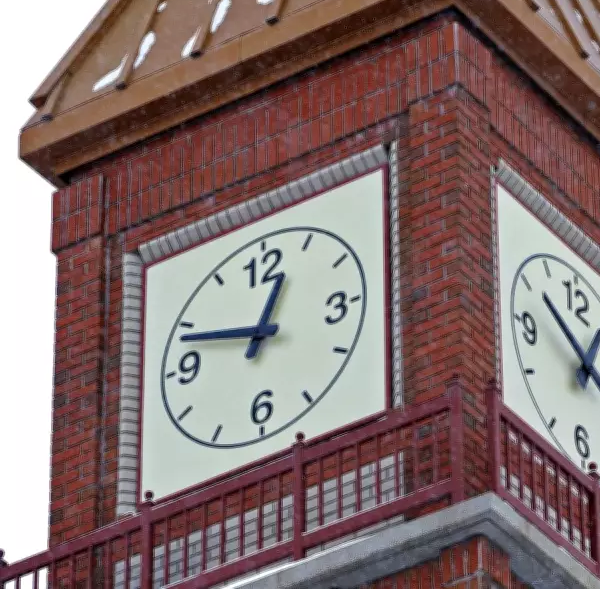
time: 12:48
